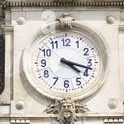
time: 4:17
